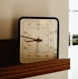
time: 8:47
